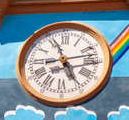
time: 4:56
